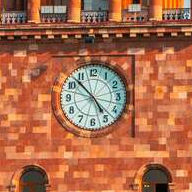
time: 4:52
